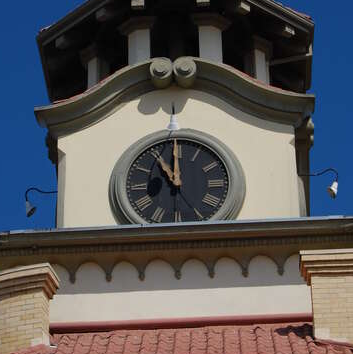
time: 10:59
